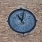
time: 11:02
